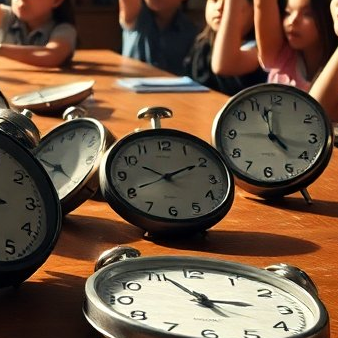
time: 10:10
